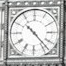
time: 10:22
